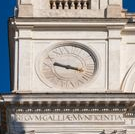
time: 9:17
